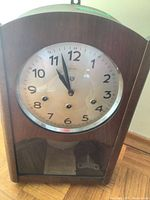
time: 10:57
